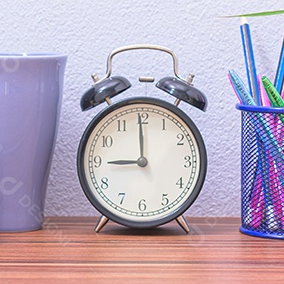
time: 8:59
